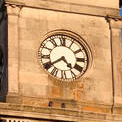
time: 4:39
